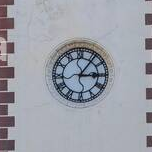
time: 3:06
